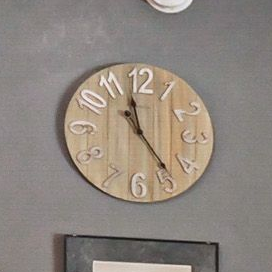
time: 11:23
